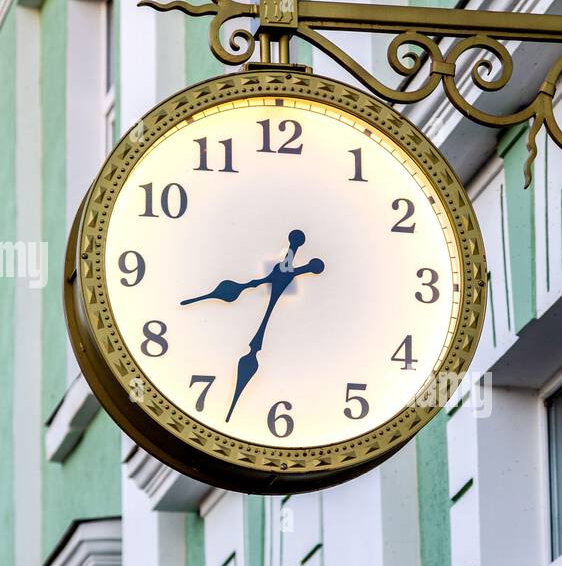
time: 8:33
